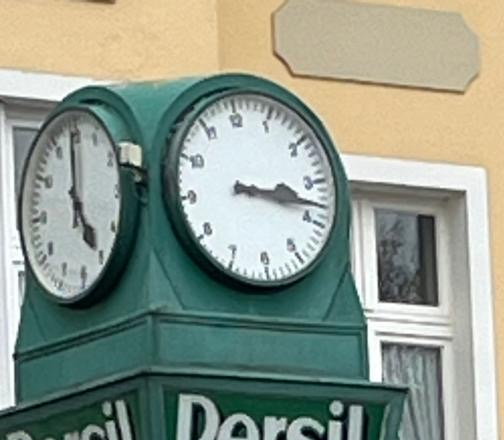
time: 3:17
